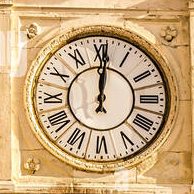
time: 12:00
